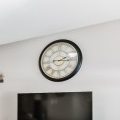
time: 2:15
